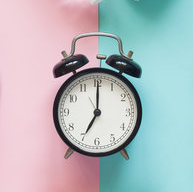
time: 7:00
